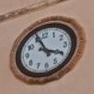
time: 3:56
